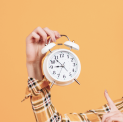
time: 8:53
